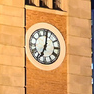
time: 7:01
